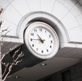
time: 10:45
